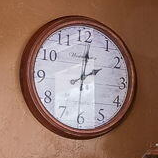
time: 2:01
